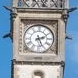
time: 2:26
